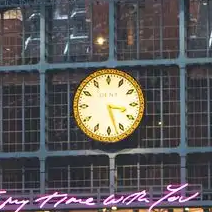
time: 3:27
